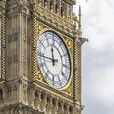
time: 11:44
